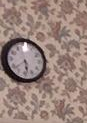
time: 5:38
